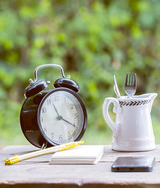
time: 11:20
